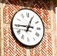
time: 12:45
